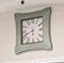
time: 5:41
